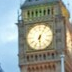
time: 6:05
